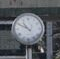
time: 10:49
